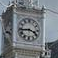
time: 3:43
